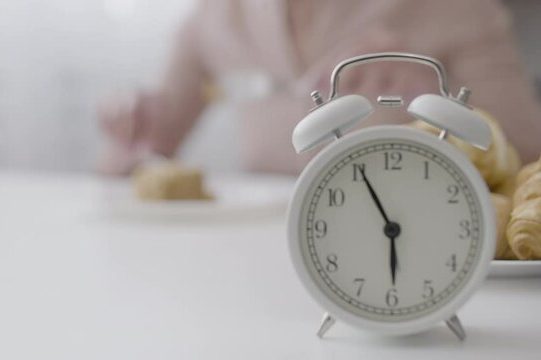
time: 5:55
